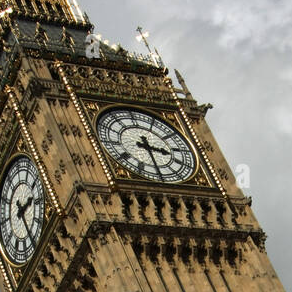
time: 3:29
